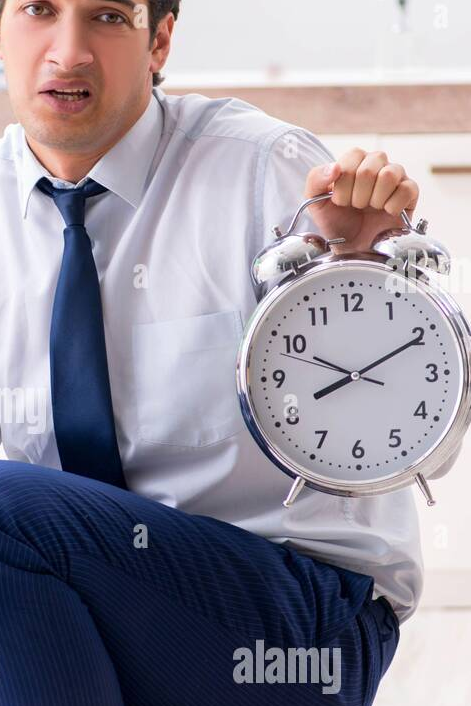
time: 8:10
